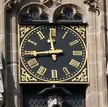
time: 11:44
